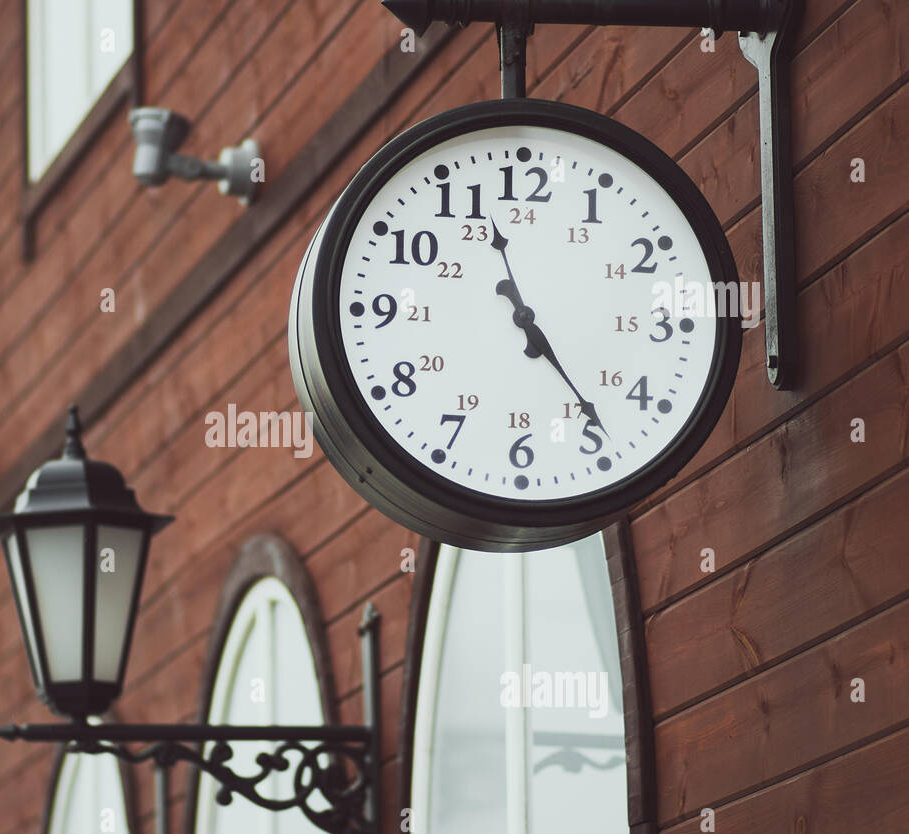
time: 11:23
